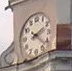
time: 2:21
